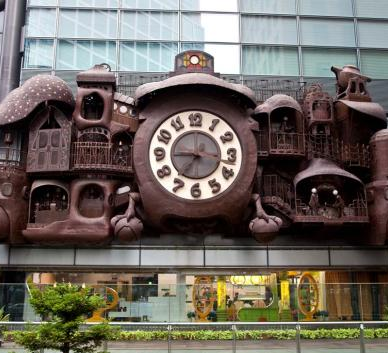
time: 7:17
